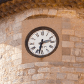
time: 2:32
